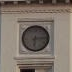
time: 6:14
